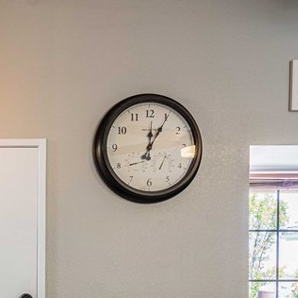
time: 12:05
